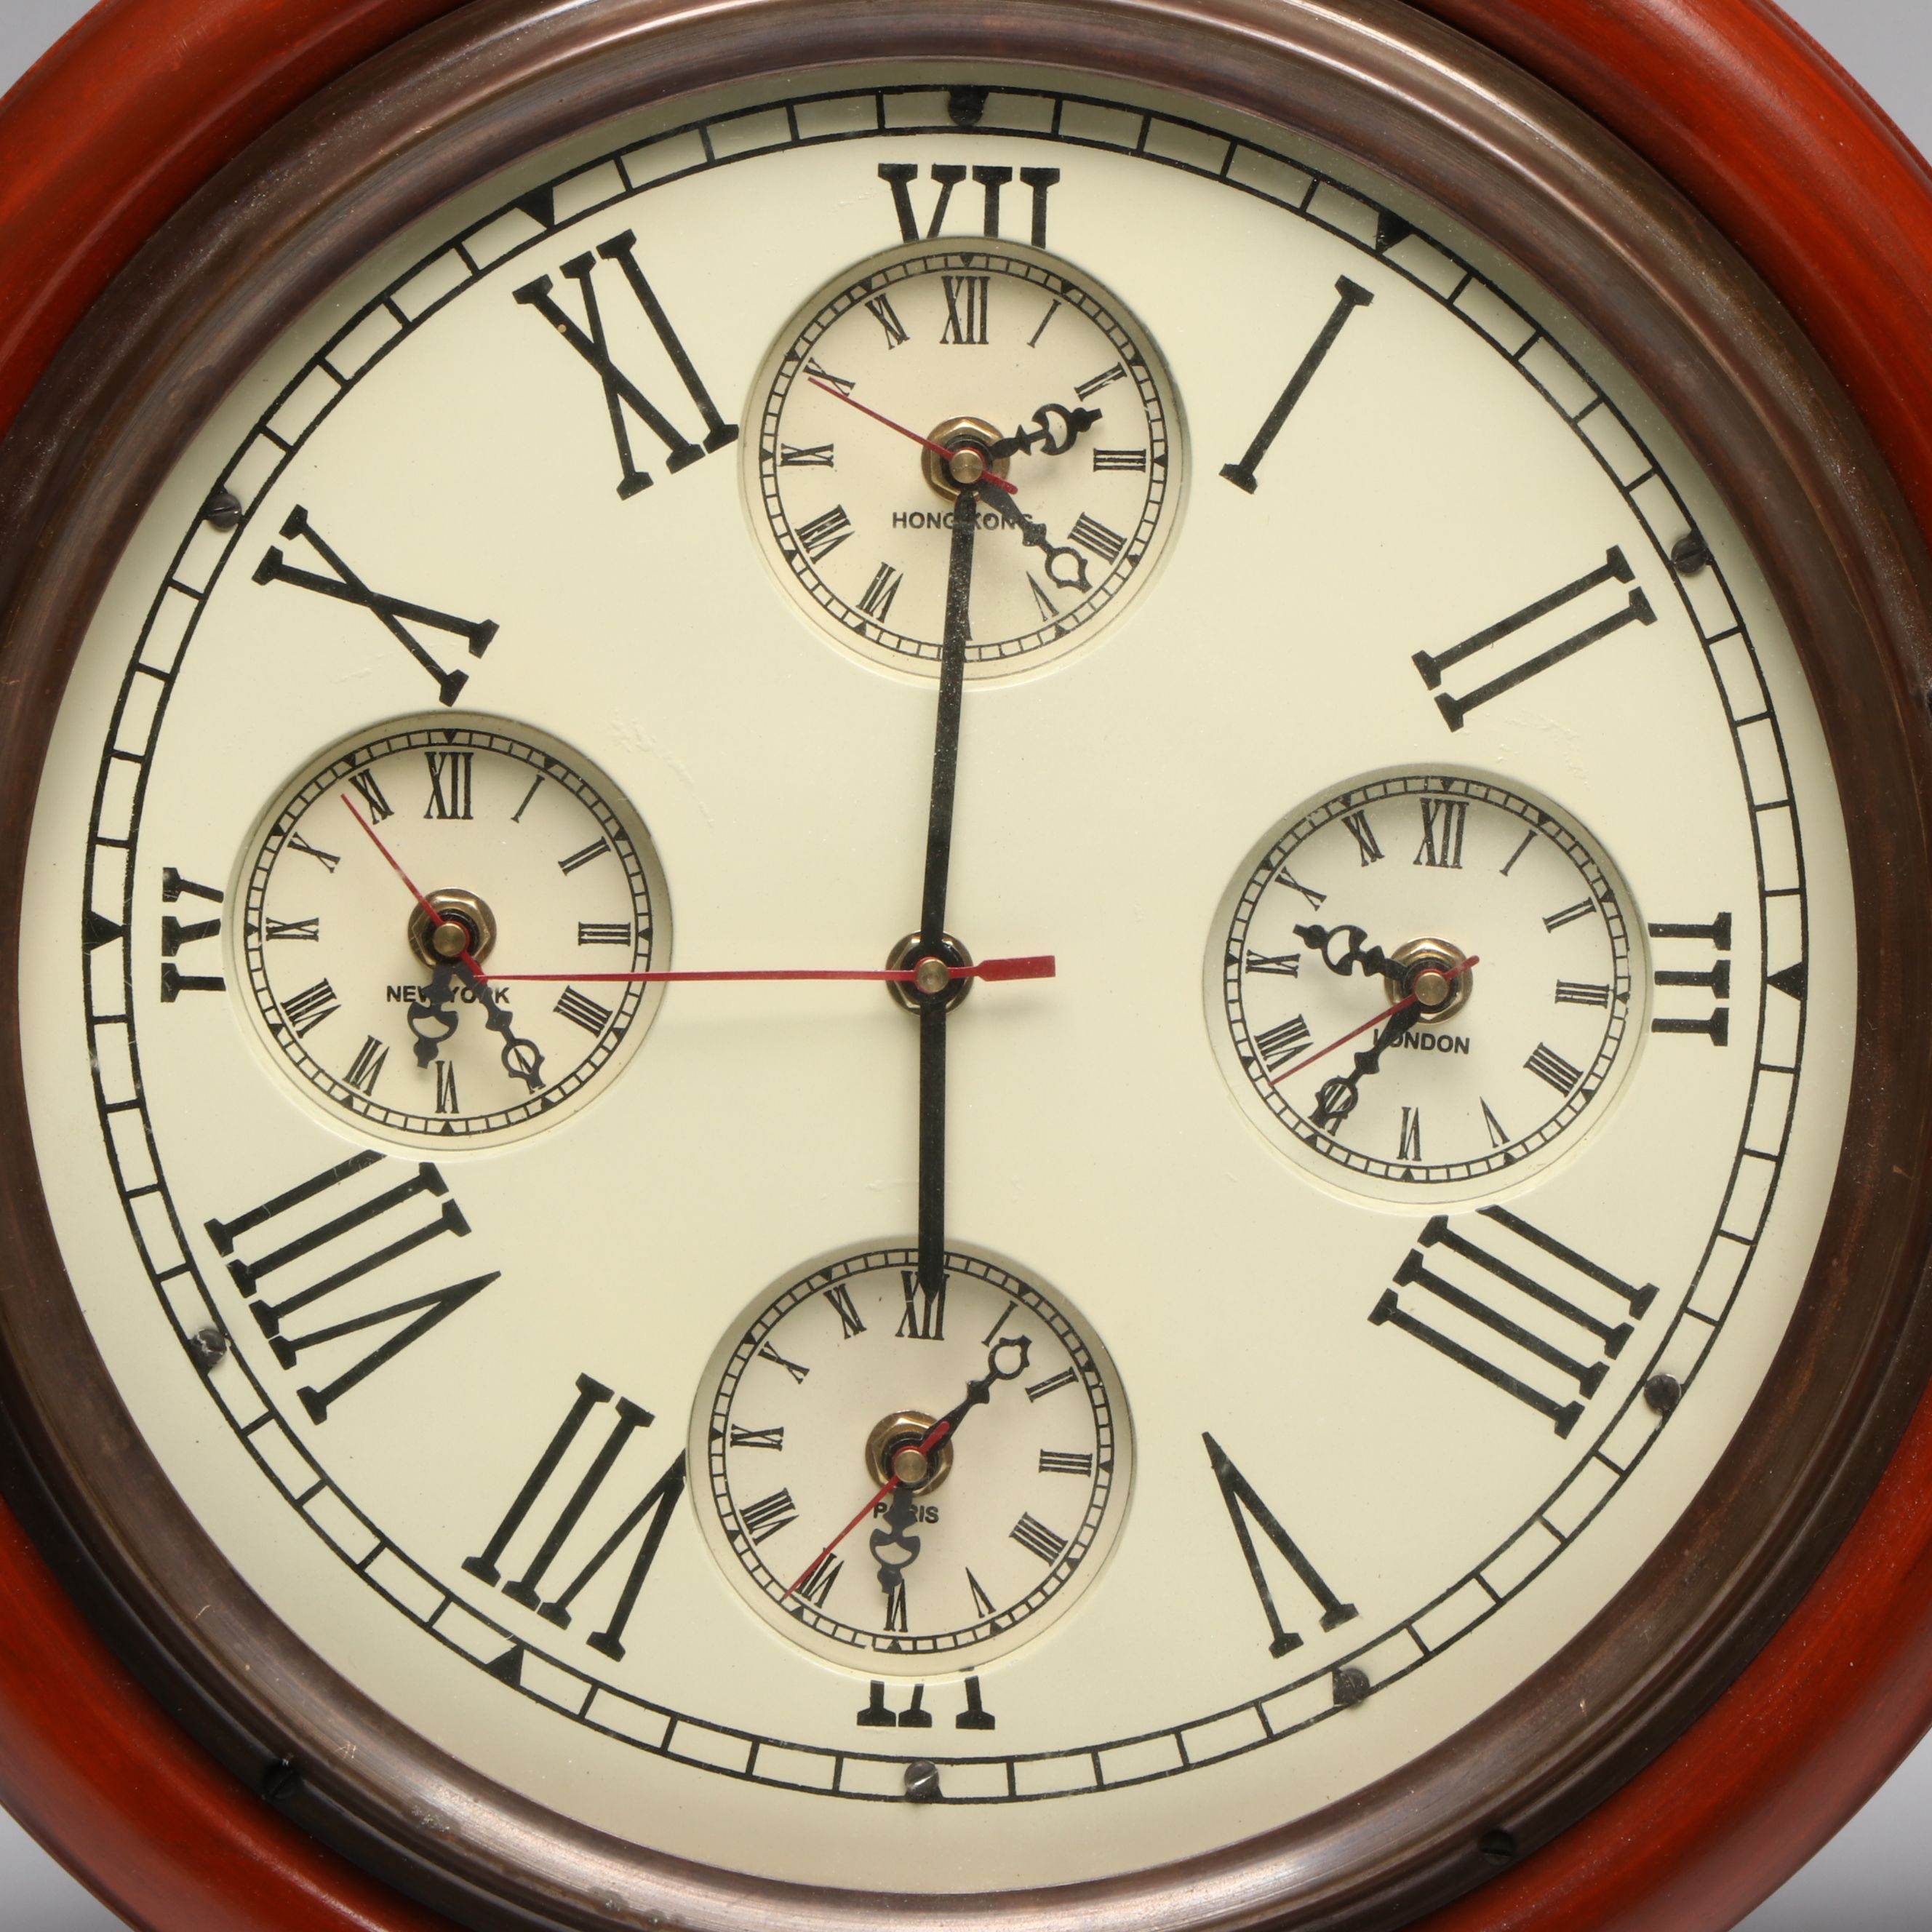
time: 5:59
